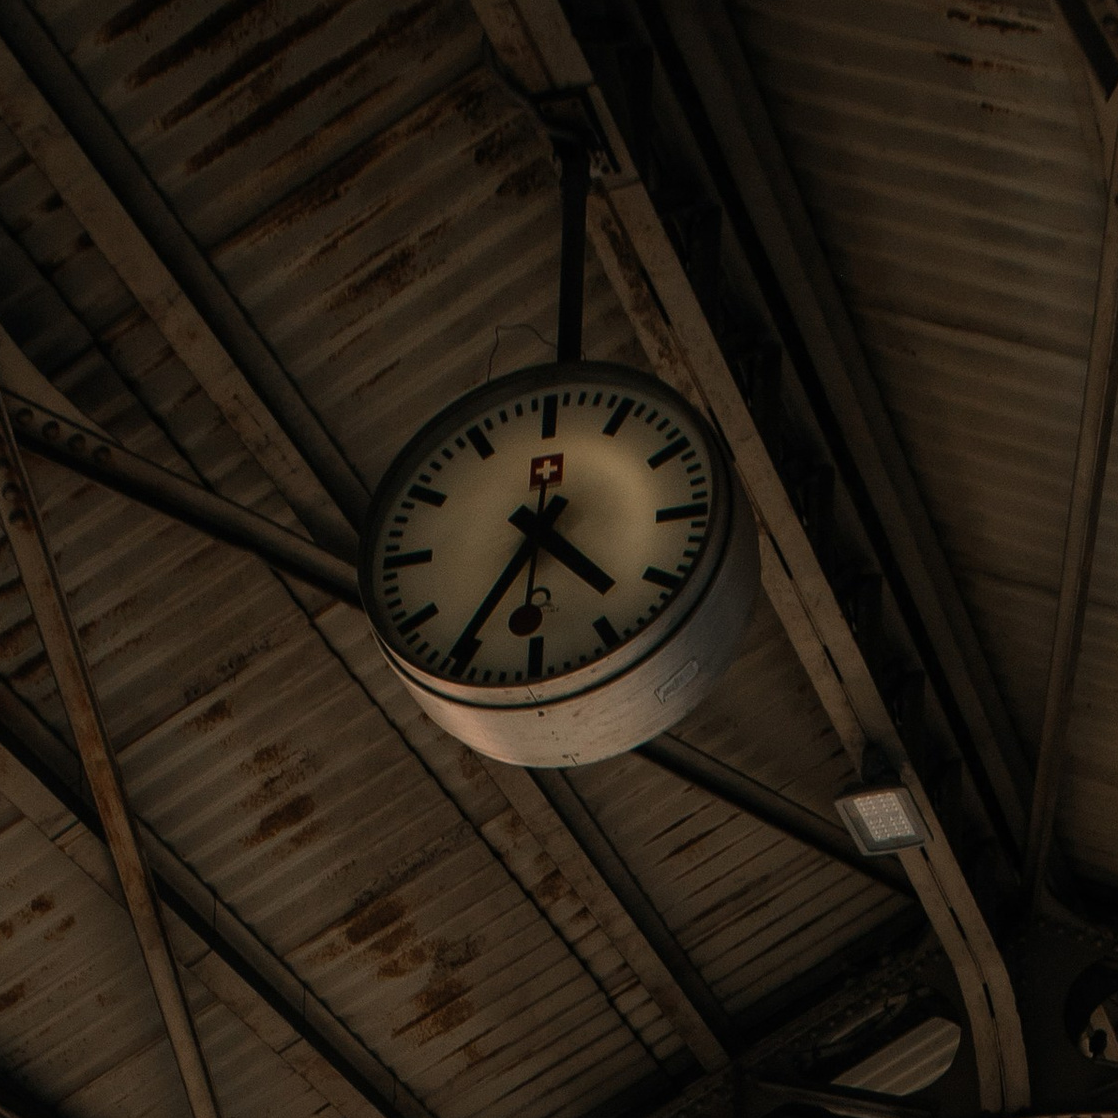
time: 4:35
